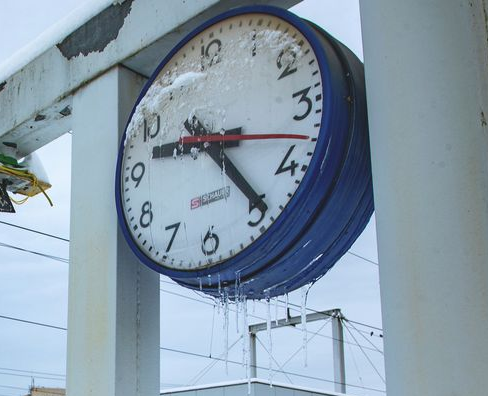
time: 9:24
